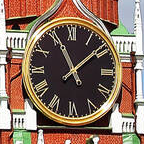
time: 11:08
